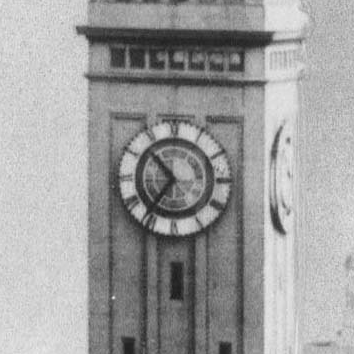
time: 10:36
